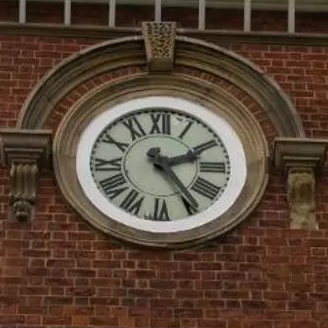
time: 2:24
